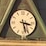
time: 3:27
